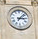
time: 3:07
